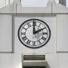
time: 1:59
